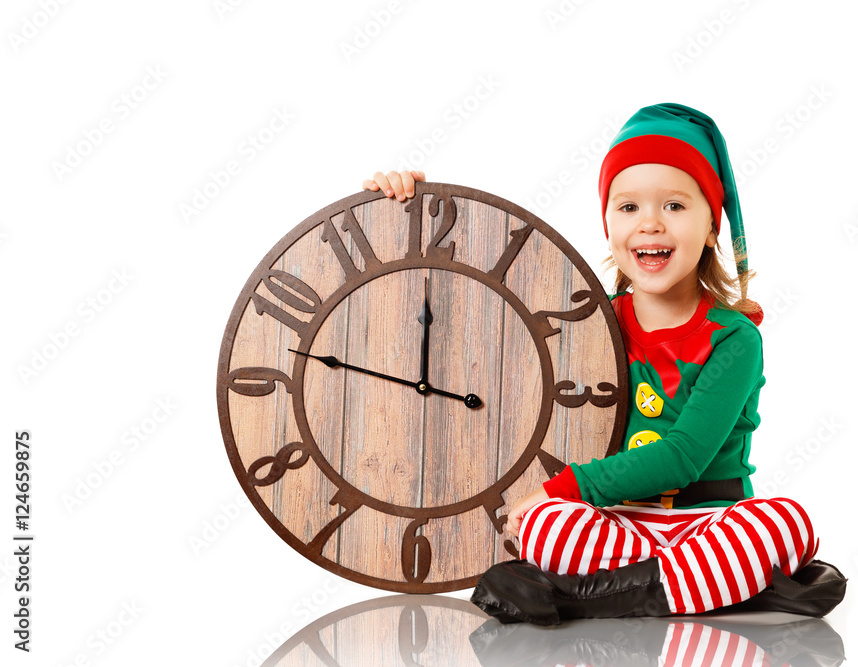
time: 11:47
